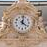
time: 4:01
